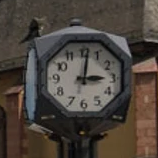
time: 3:01
